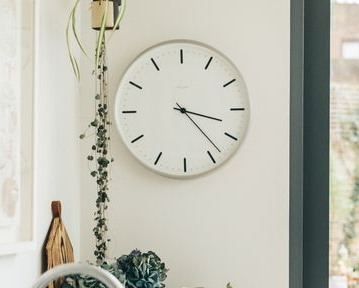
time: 3:23
